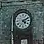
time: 4:10
